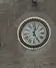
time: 12:24
